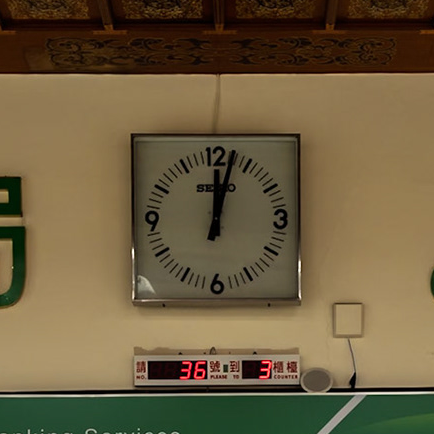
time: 12:02
